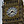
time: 3:38
